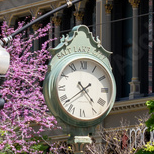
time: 4:38
